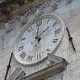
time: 2:00
